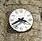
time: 3:40
